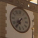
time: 7:35
